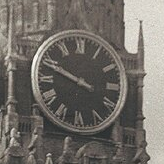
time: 9:48
